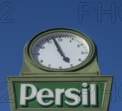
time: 4:57
